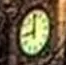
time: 9:01
